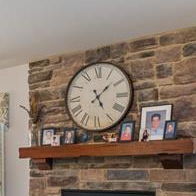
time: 5:07
